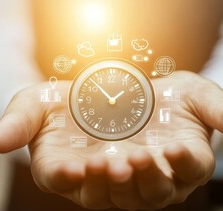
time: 1:52
